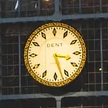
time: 3:27
